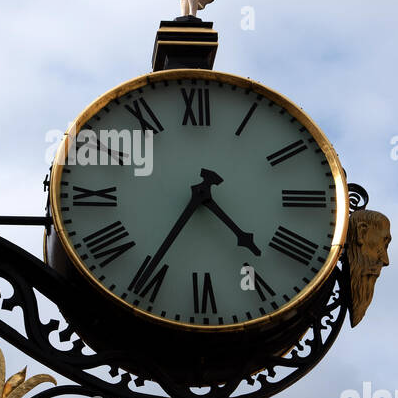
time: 4:35
